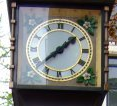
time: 1:38
